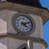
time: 4:10
